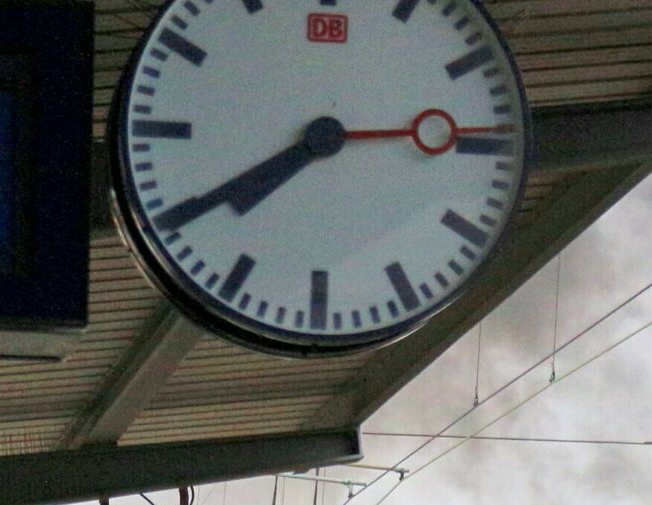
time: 7:39
